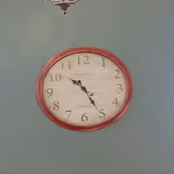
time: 10:25
